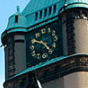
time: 4:50
